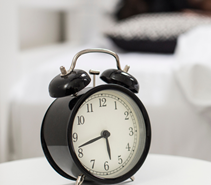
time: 5:42
